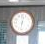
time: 12:32
